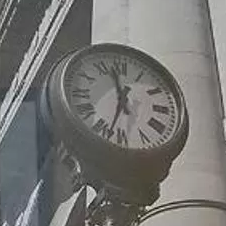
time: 11:32
